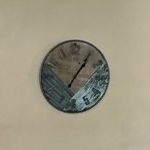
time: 1:05
